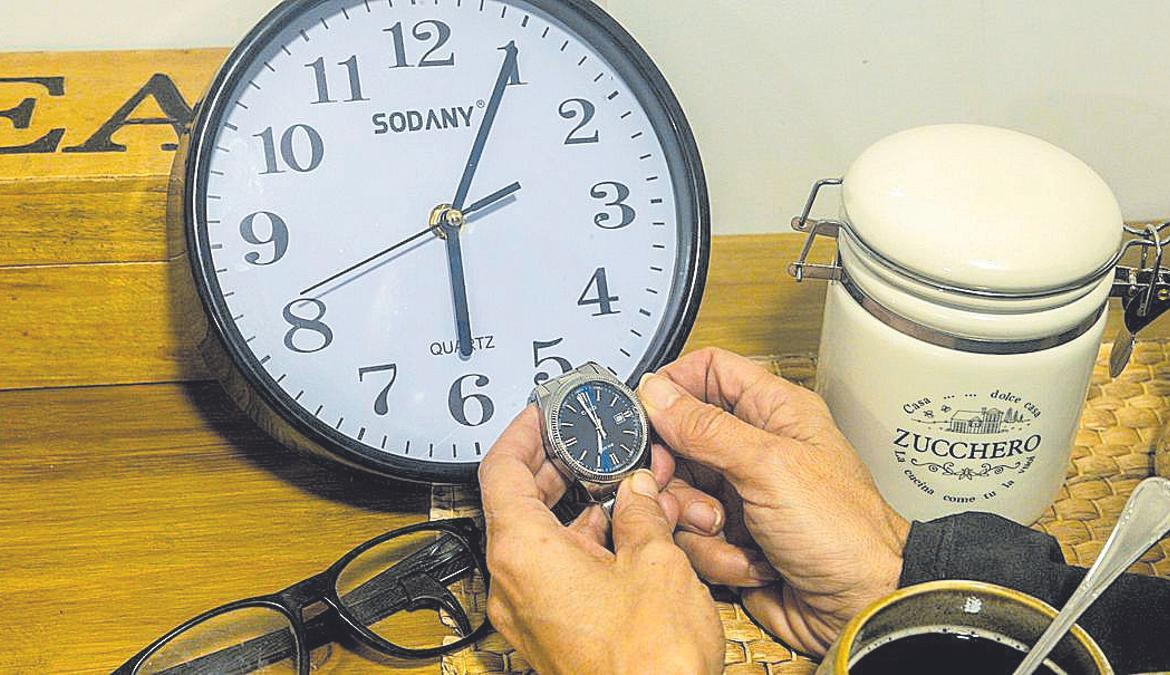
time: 2:29
